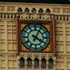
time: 4:04
